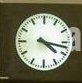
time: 4:17
